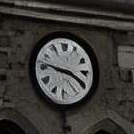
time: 3:46
